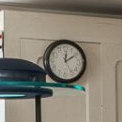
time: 12:09
